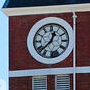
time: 12:37
